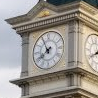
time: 7:55
